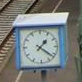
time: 1:21
